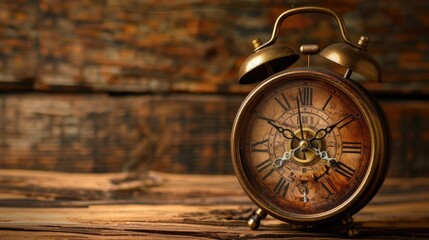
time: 1:50
